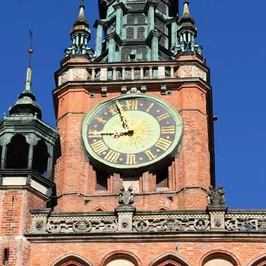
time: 8:56
